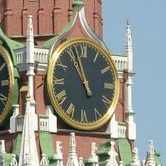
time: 10:56
